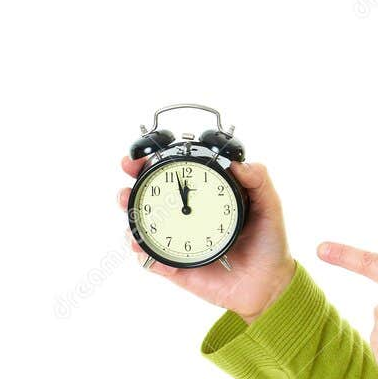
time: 11:57
